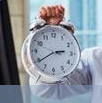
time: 2:39
